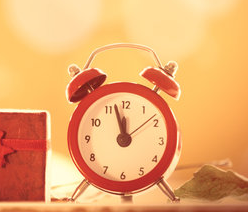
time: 11:57
